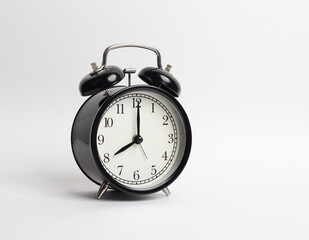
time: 8:00
